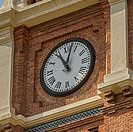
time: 11:02
